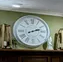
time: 2:12
